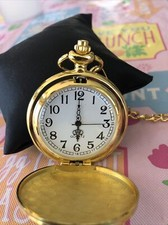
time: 6:00
